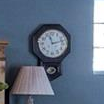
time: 11:12
